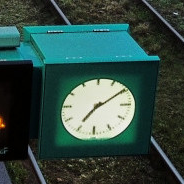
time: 7:09
